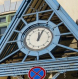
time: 12:04
